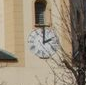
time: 2:01
